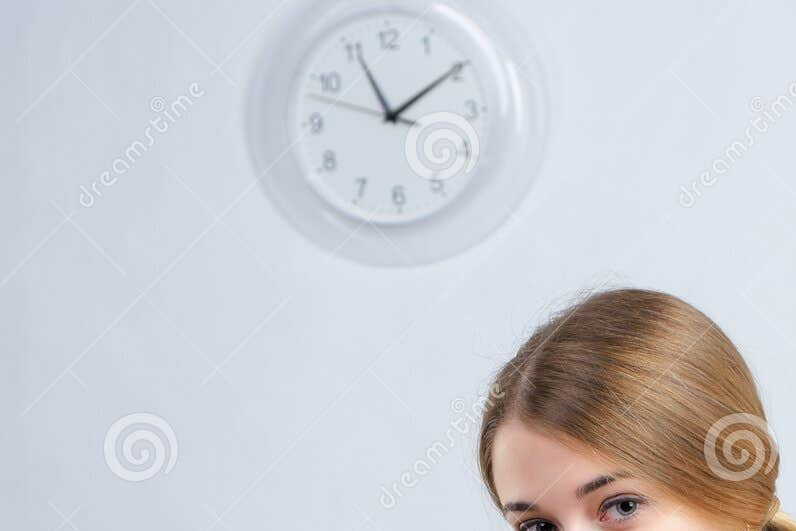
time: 11:09
